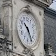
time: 10:25
